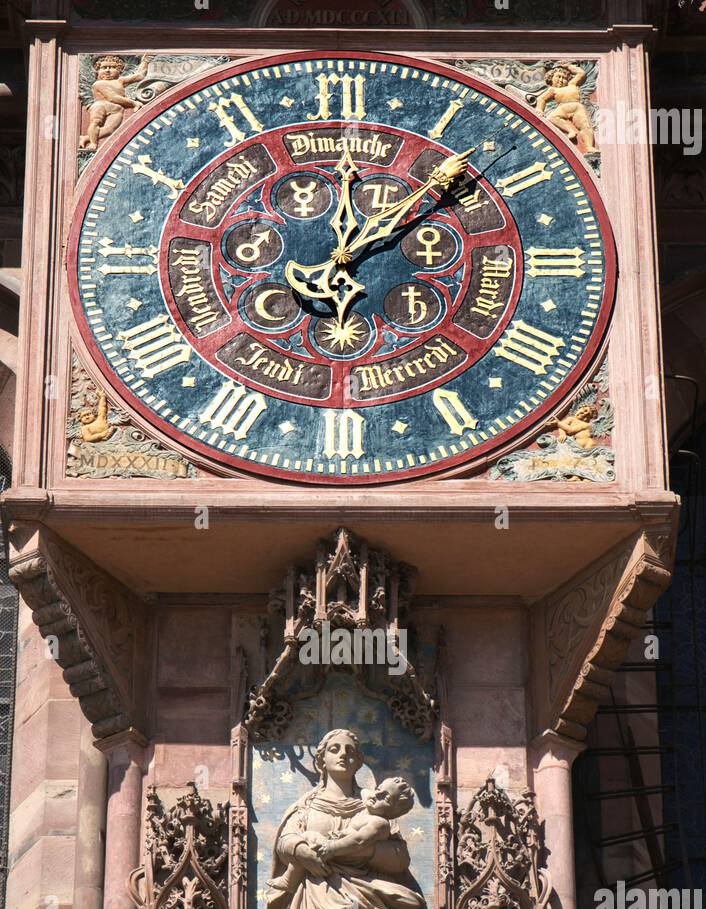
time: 12:07
